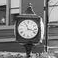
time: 11:17
